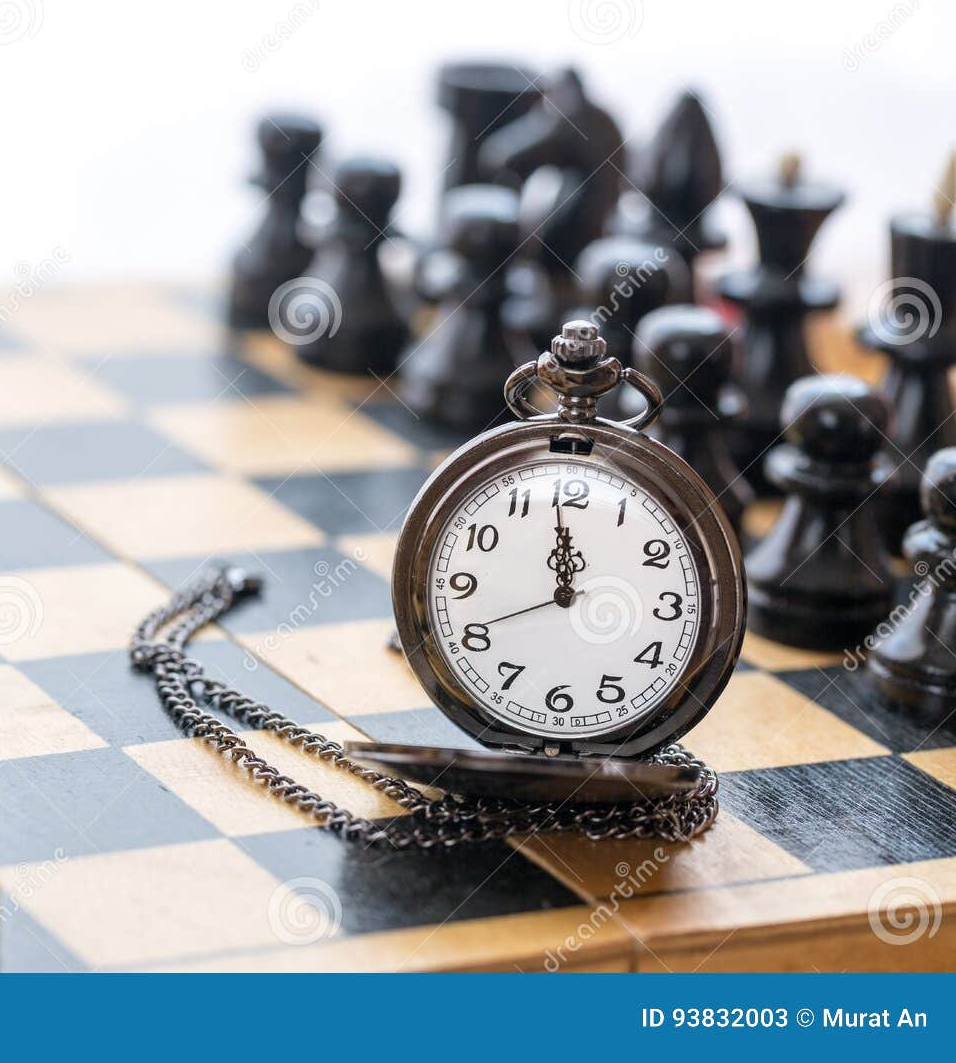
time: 11:58
